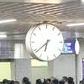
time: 6:38
